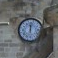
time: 12:02
